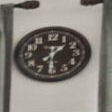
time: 1:30
